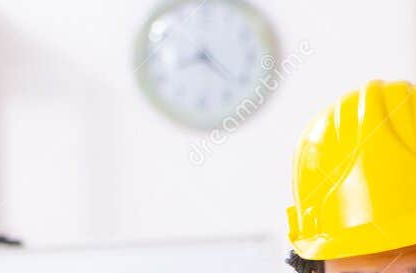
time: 8:22
